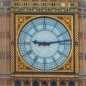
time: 9:13
